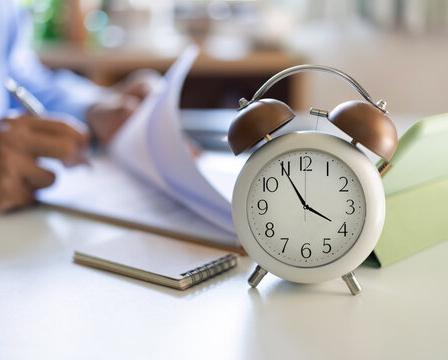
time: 3:54
